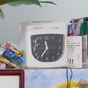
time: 11:35
